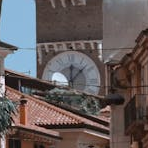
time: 12:07
